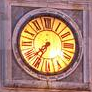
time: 7:34
